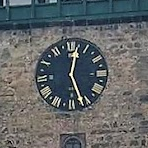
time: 12:26
